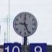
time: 9:26
